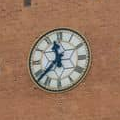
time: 11:37
